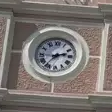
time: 2:36
